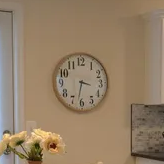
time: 3:32
